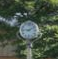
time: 9:10
